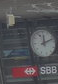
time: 12:11
